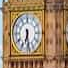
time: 6:28
